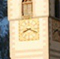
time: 8:18
